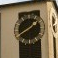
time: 1:40
